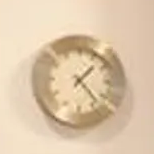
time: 1:23
